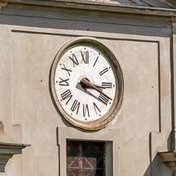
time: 3:19
